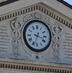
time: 3:32
